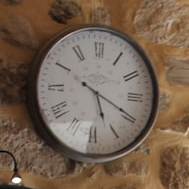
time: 5:19
